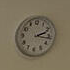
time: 2:16
